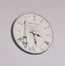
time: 3:28
